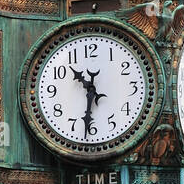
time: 10:31
